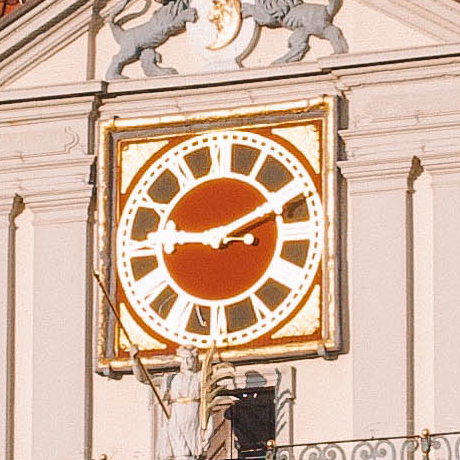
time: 9:10
